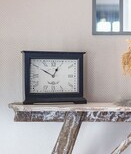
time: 12:50
